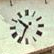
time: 10:34
